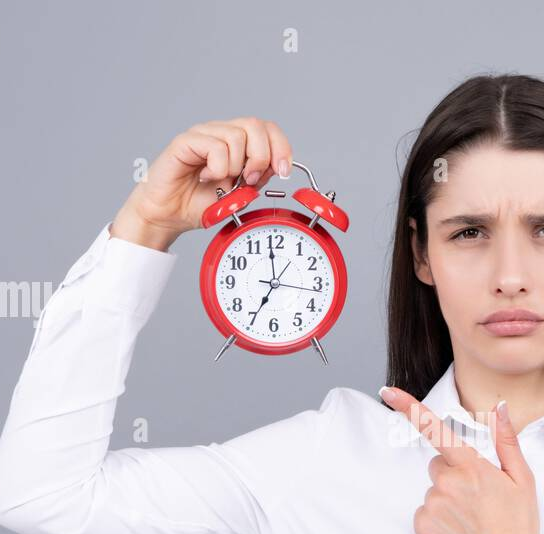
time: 6:58
